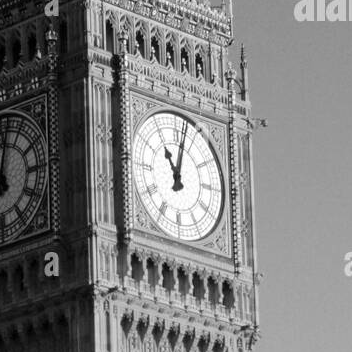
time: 11:02
